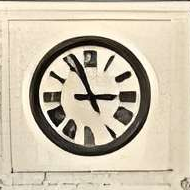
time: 2:56
